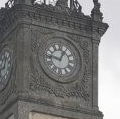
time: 12:46
